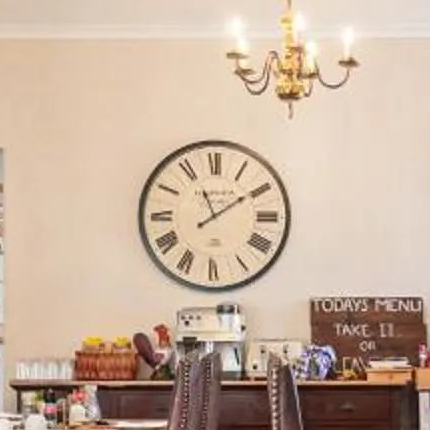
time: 11:09
